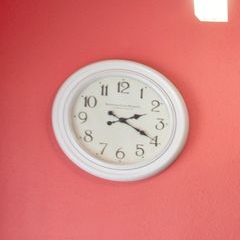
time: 2:19
